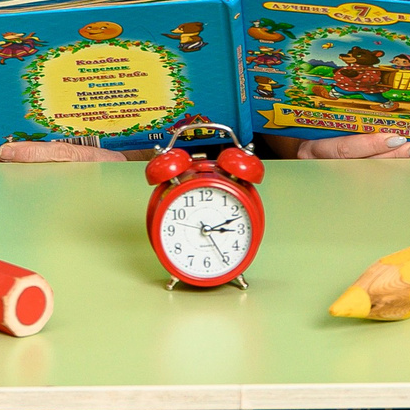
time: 3:11
